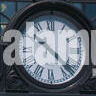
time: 10:22
